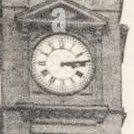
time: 3:13
